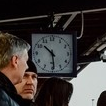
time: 10:29
